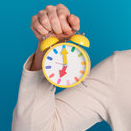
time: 7:00
